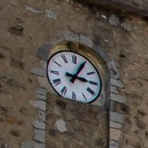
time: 3:04
